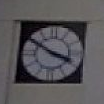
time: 3:50
